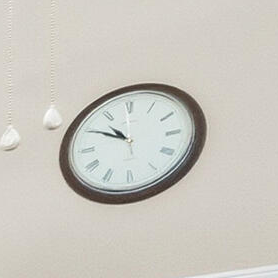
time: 10:50
